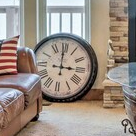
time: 2:59
